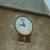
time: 8:57
